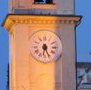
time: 6:26
